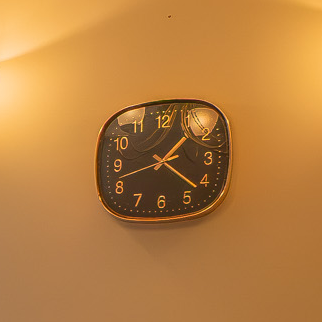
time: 1:21
